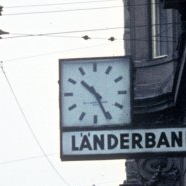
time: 10:25
